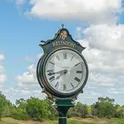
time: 7:42
